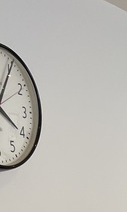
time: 4:04
